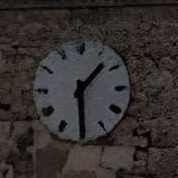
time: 1:29
